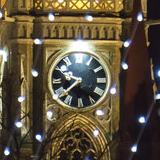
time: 9:38
